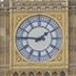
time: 1:46
